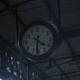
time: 4:31
